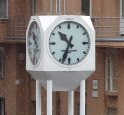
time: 10:33
